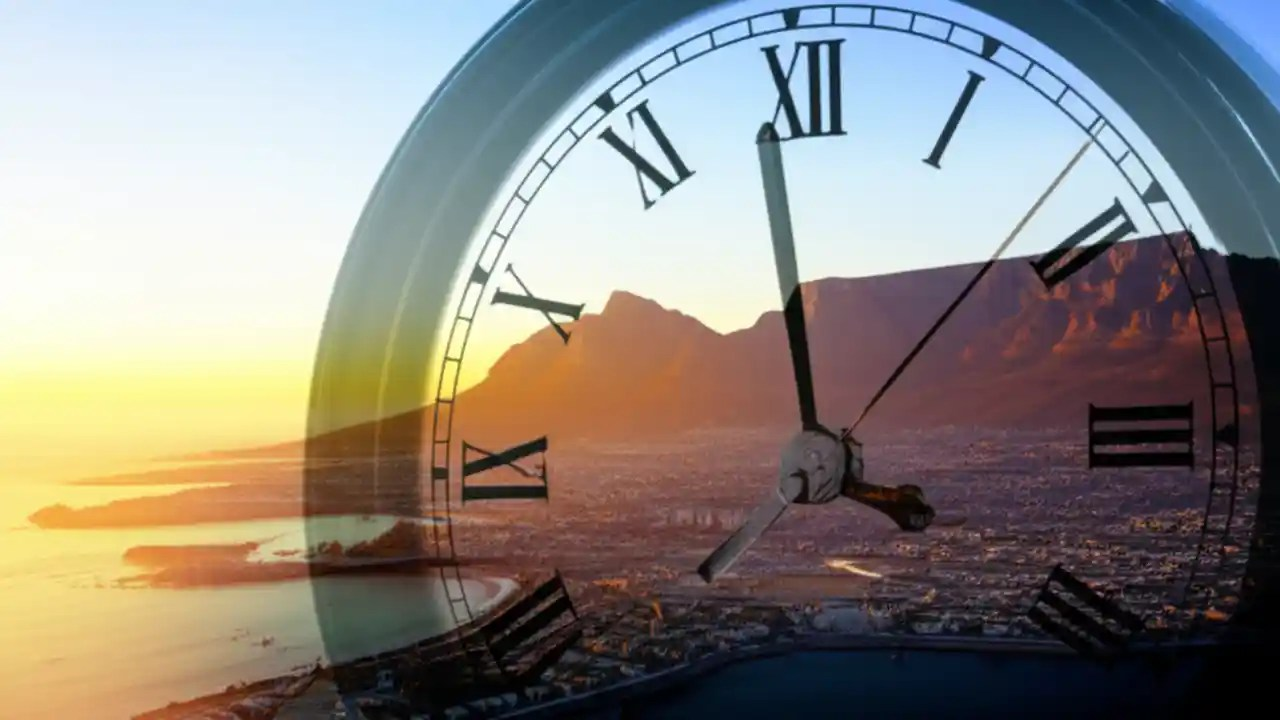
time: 3:58
